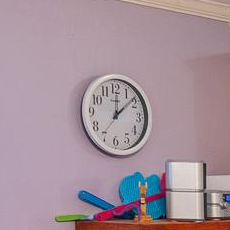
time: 12:07
